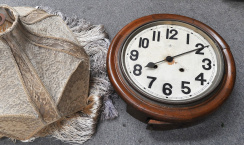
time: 8:09
